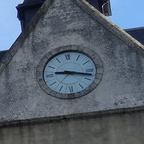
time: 9:17
